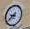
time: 8:38
